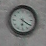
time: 6:20
